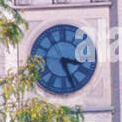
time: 3:26
